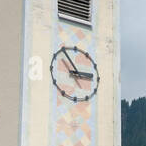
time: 2:54
